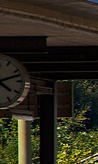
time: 4:12
